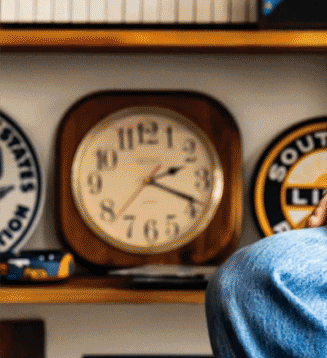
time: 2:18
